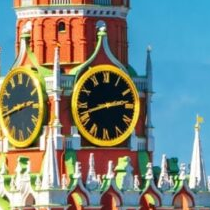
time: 2:42
